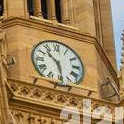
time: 10:28
